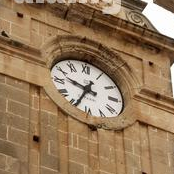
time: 9:34
